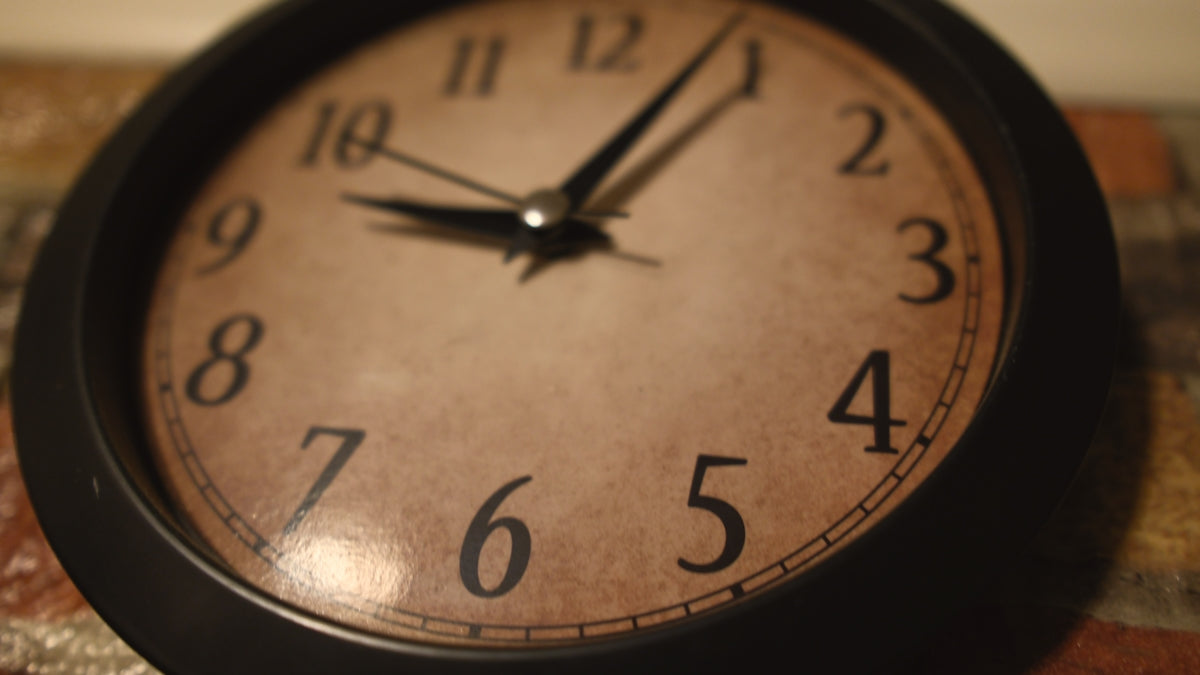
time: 9:05
